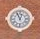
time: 12:56
